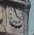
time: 3:58
